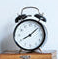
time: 8:08
